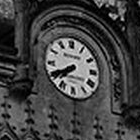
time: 7:40
